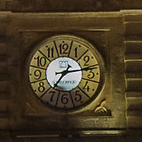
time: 7:13
